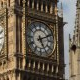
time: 5:11
